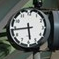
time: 5:43
